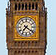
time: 7:21
